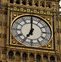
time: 7:00
